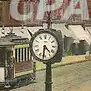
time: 4:31
